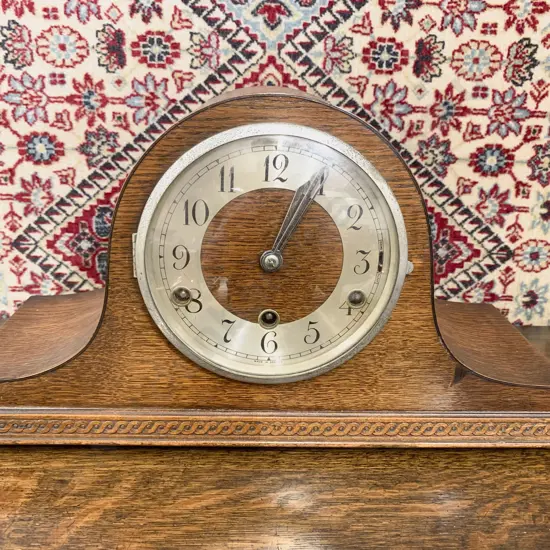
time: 1:04
